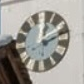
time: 12:11
